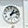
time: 1:11
